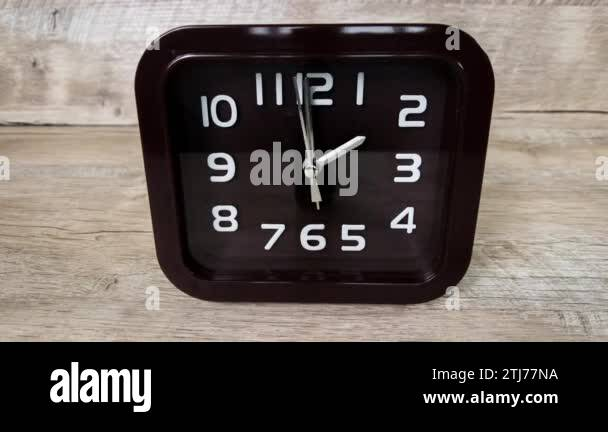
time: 1:59
